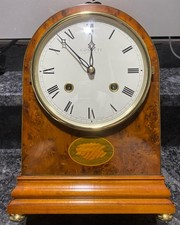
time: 11:52
